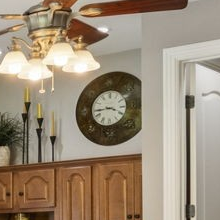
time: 3:43
